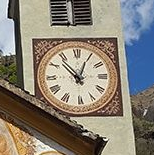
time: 12:53
